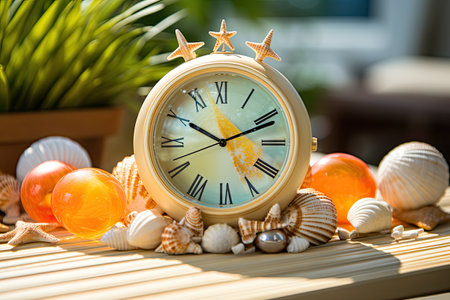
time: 10:11
